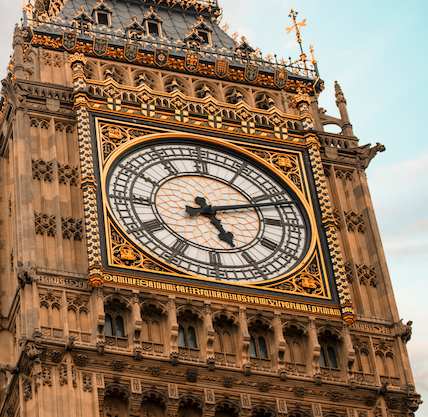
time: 5:11
